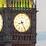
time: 8:25
